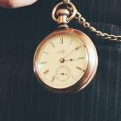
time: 3:09
